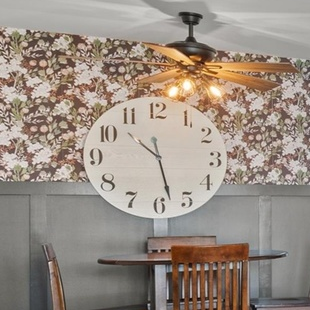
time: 10:28
